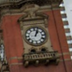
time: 1:03
